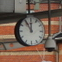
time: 11:54
